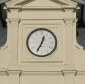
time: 12:34
